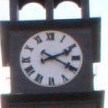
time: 2:19
